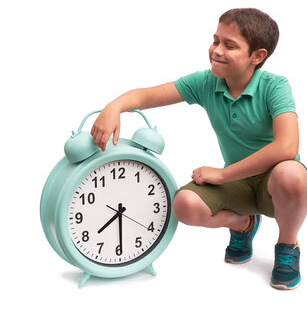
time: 7:29
